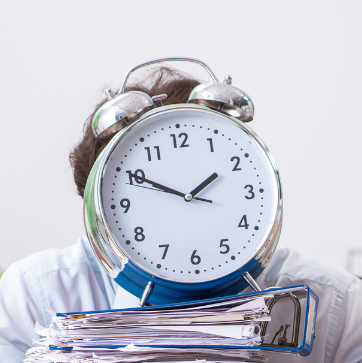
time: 1:50
